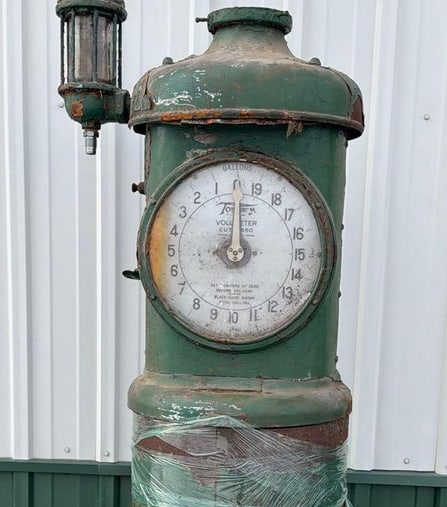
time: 8:59
